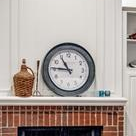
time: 10:45
